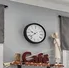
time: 9:38
